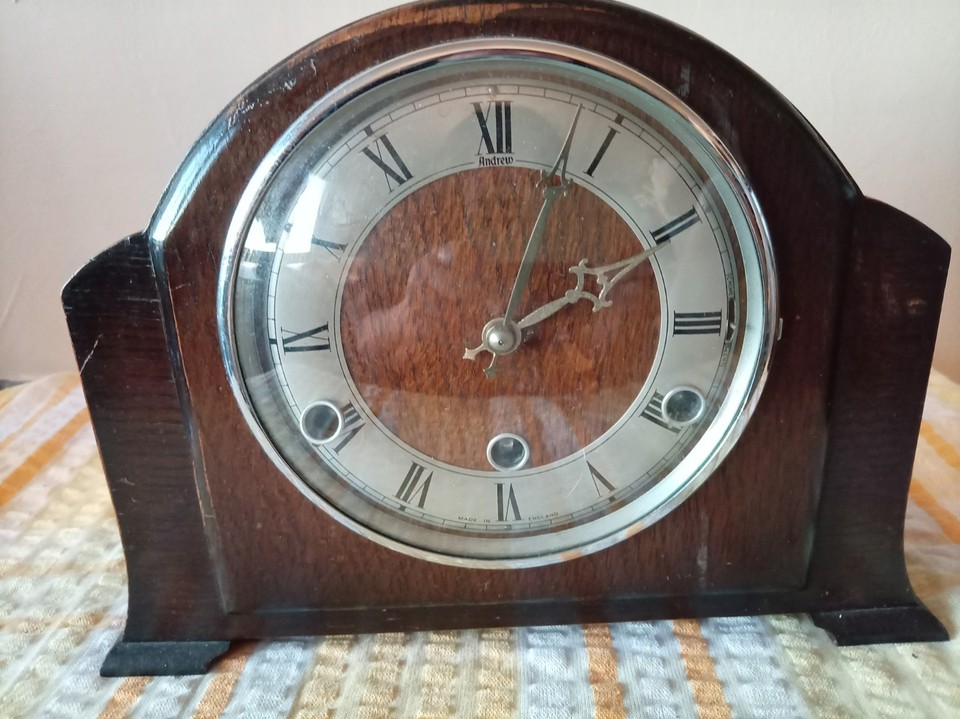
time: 2:03
